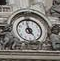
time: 4:58
